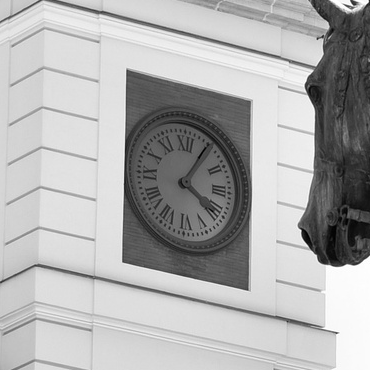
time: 4:05
